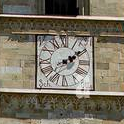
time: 2:09
